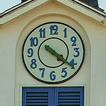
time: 4:21
